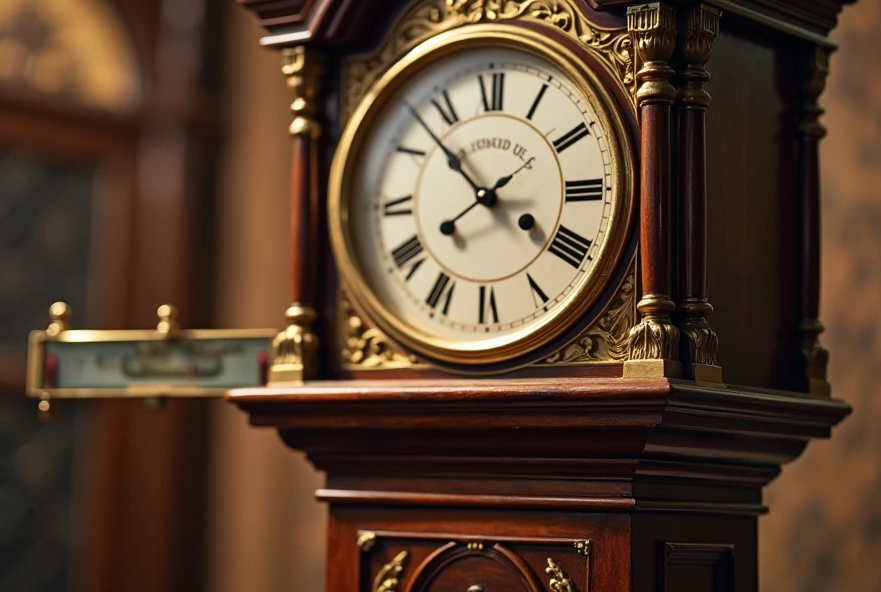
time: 3:52
